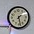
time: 1:28
